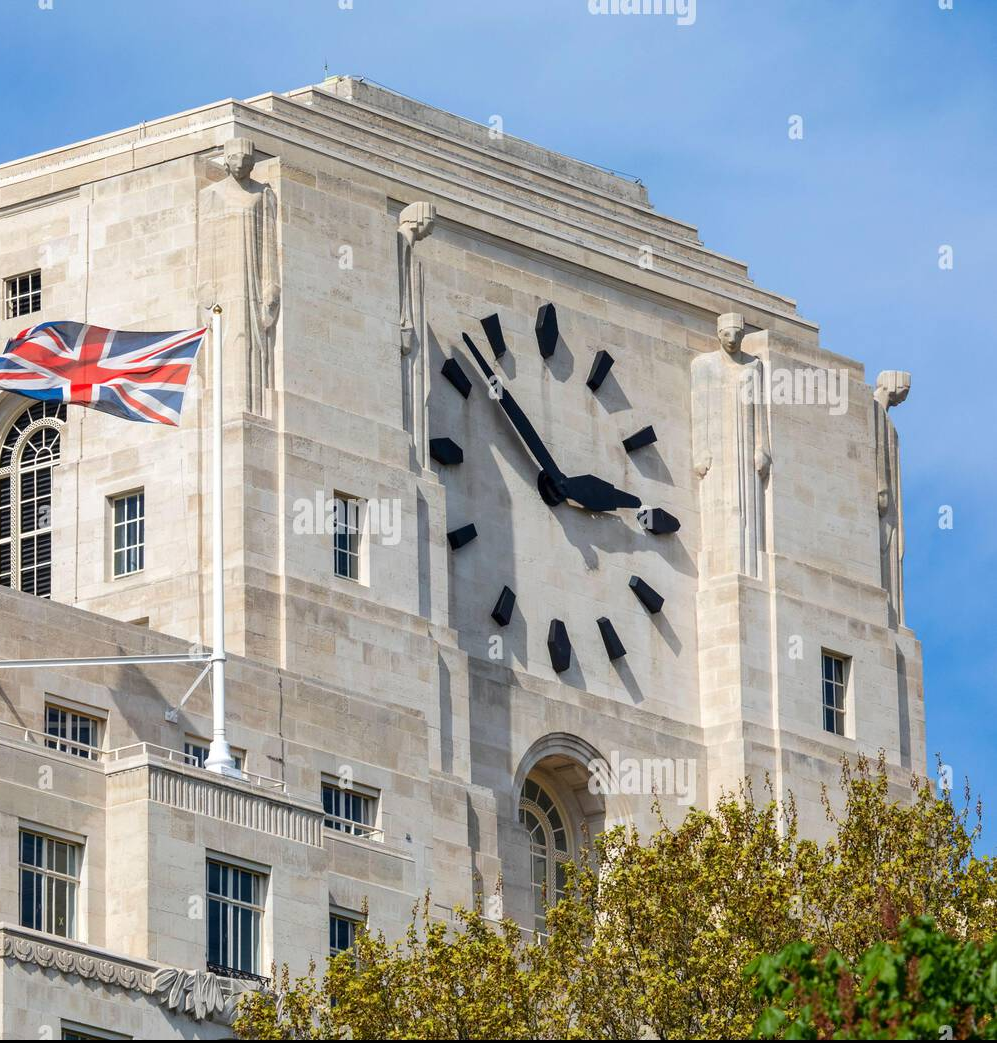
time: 2:52
